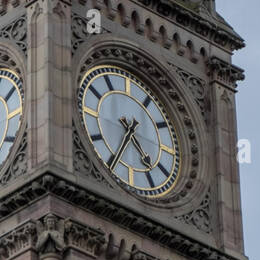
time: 4:35
